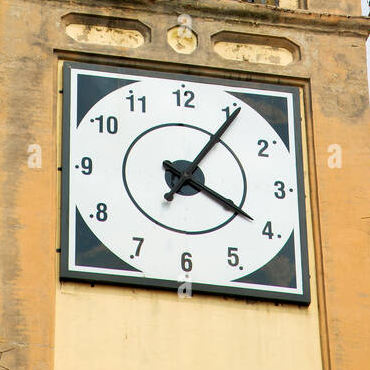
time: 4:05
